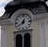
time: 12:39
